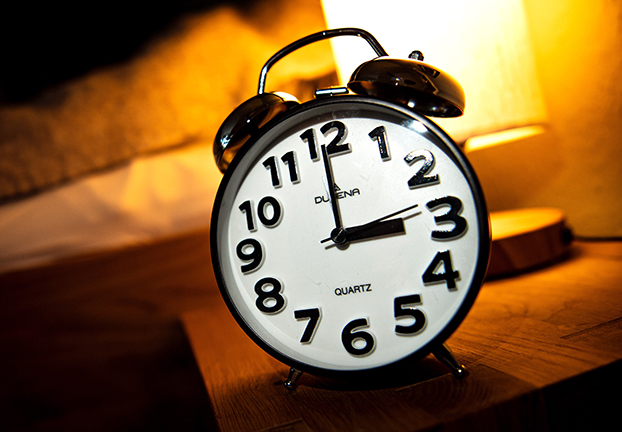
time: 2:59
